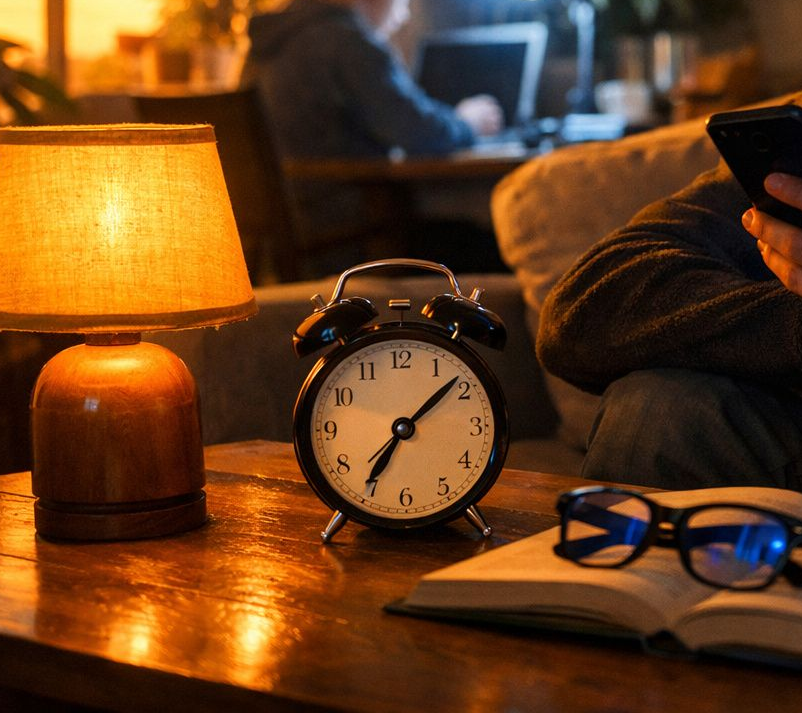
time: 7:08
